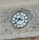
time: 9:38
